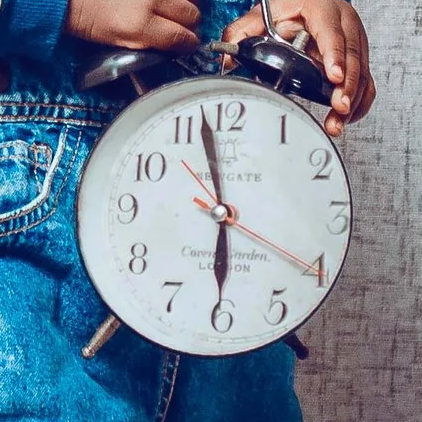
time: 5:57
